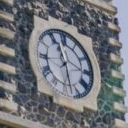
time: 11:28
